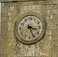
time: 3:25
